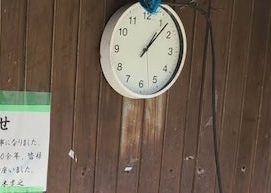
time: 1:07
